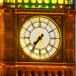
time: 7:36
